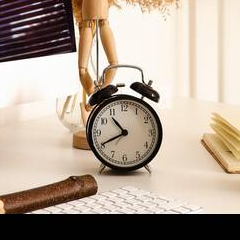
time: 10:40
